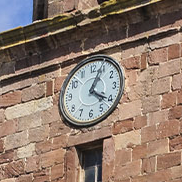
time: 4:04
